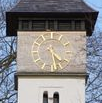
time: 4:27
